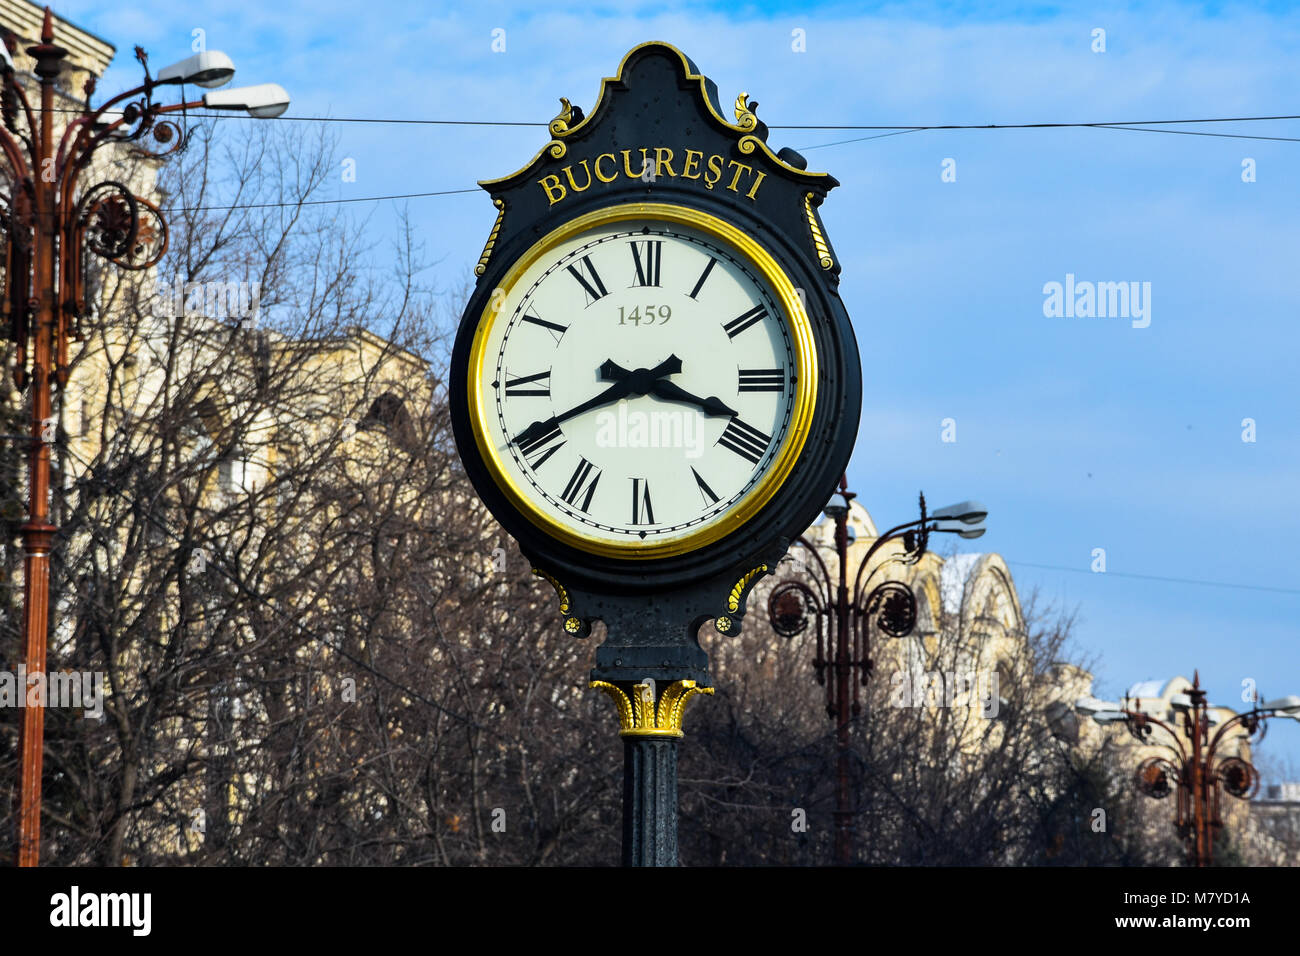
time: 3:40
